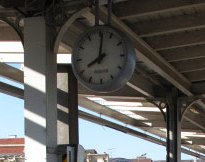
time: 8:01
